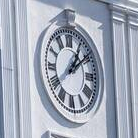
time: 1:09
